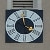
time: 3:58
